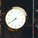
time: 7:39
